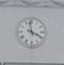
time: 3:58
